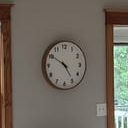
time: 4:50
